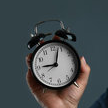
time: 9:03
